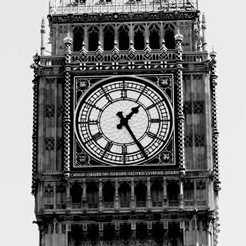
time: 1:24
